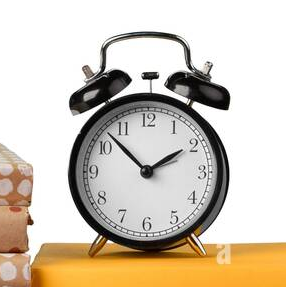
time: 1:52
